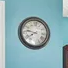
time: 7:46
